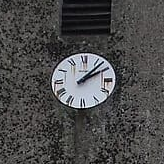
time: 2:07
